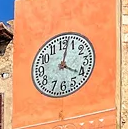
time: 4:02
